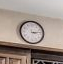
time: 3:13
